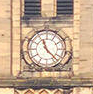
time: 11:22
